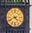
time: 4:41
